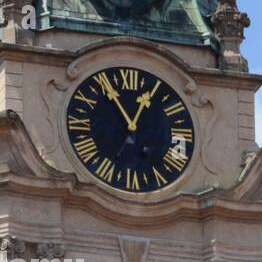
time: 12:55
